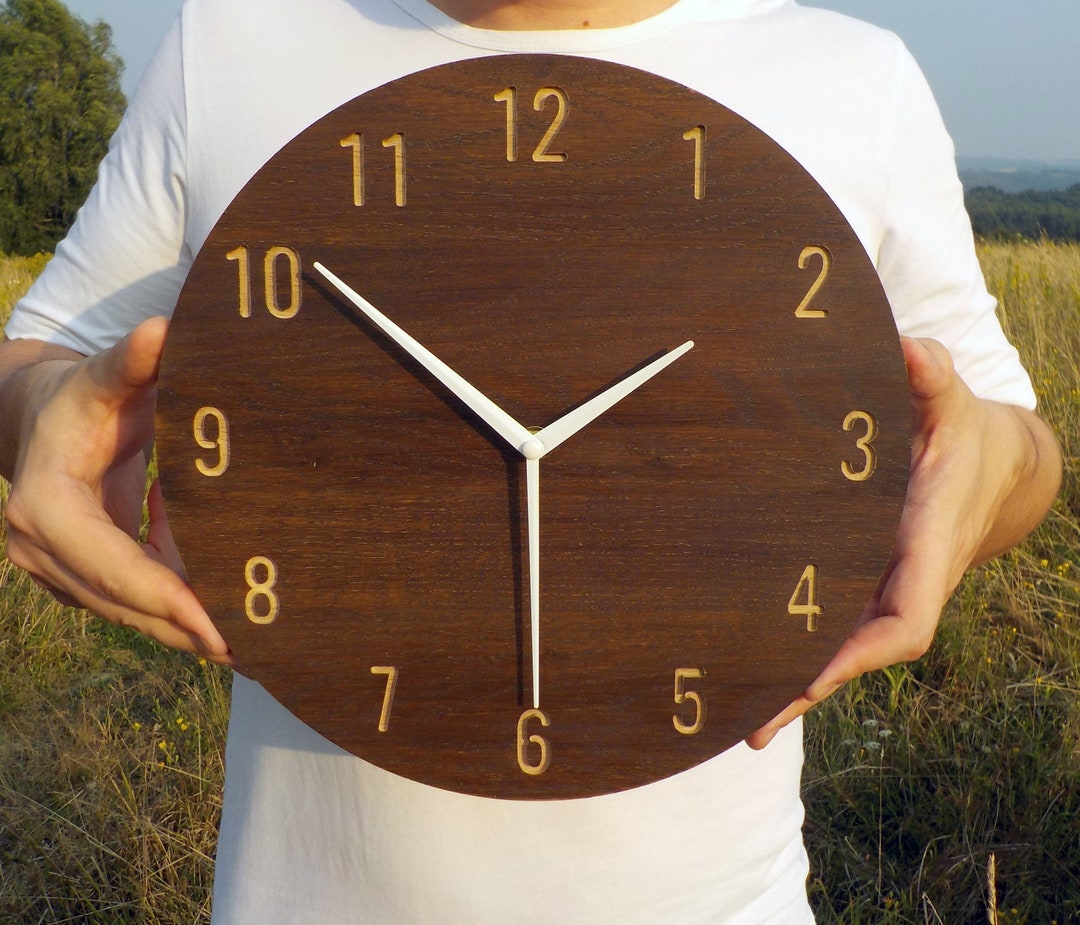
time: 1:51
